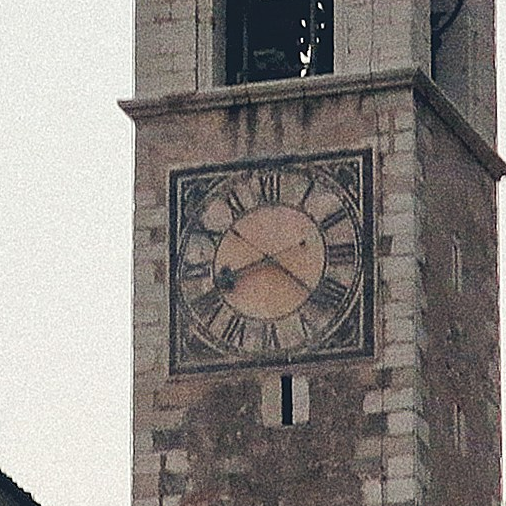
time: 8:21
